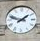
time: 1:47
